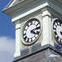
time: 4:13
